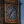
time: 7:07
